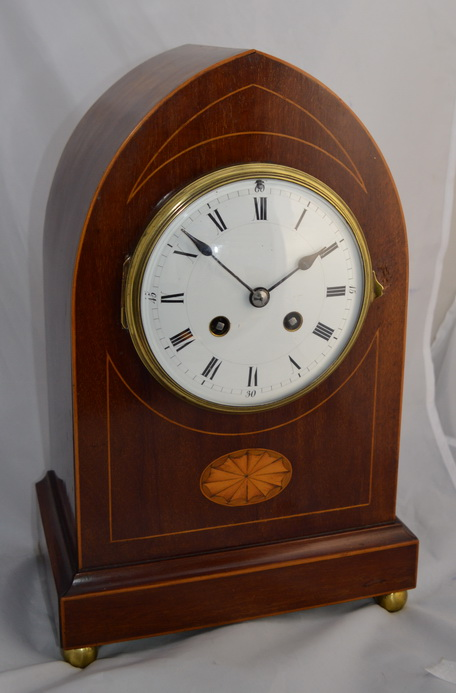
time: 1:51
